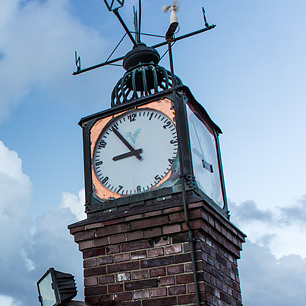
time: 8:54
